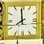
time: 7:59
